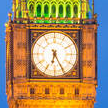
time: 6:25
